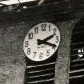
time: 2:18
